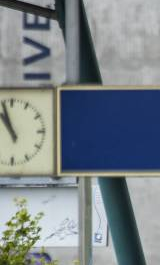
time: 10:56
